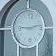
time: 9:12
